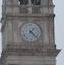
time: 1:22
